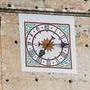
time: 7:14
